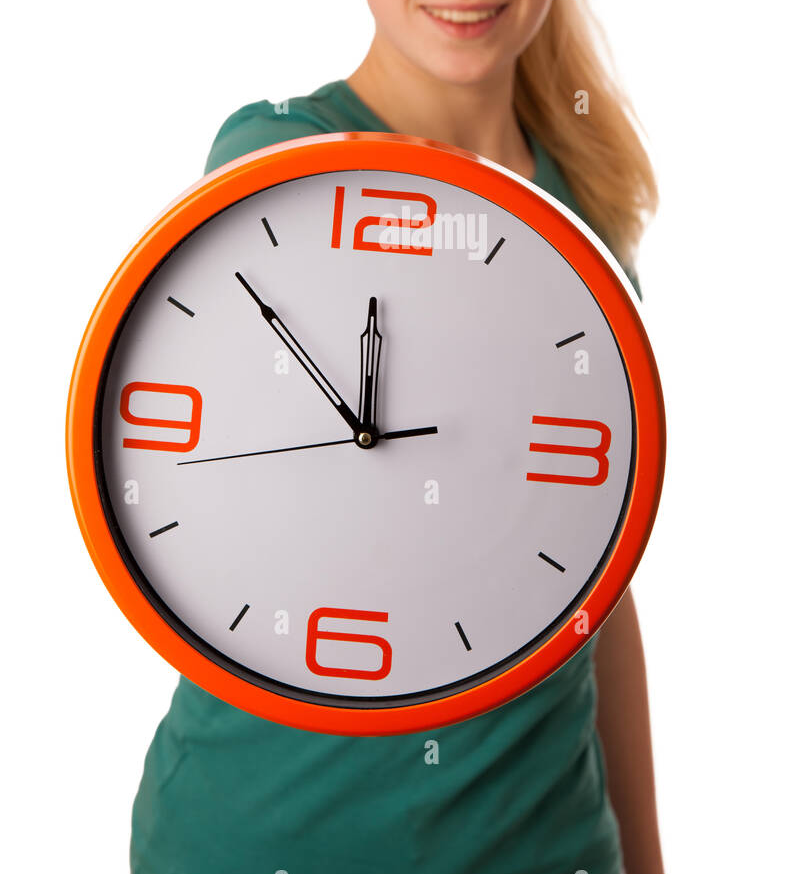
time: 11:52
